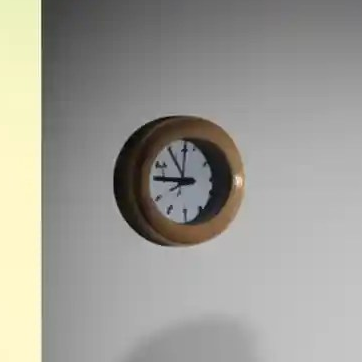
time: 9:01
